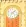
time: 7:07
